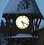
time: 5:18
